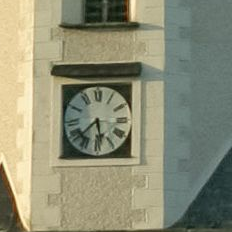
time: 5:38
